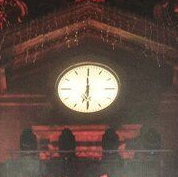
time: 5:59
